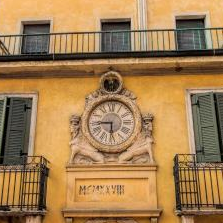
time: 5:44
